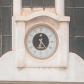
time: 6:23
